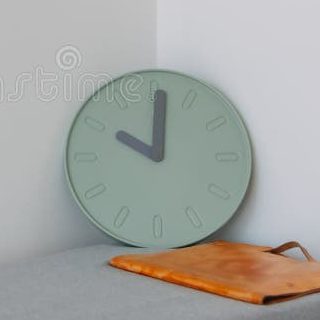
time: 10:00
